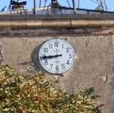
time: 8:44
